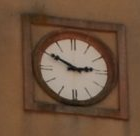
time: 2:50
